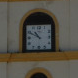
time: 10:49
